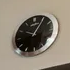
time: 10:05
